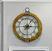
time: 1:13
